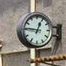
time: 12:46
